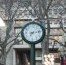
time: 7:13
